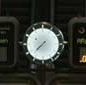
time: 7:37
